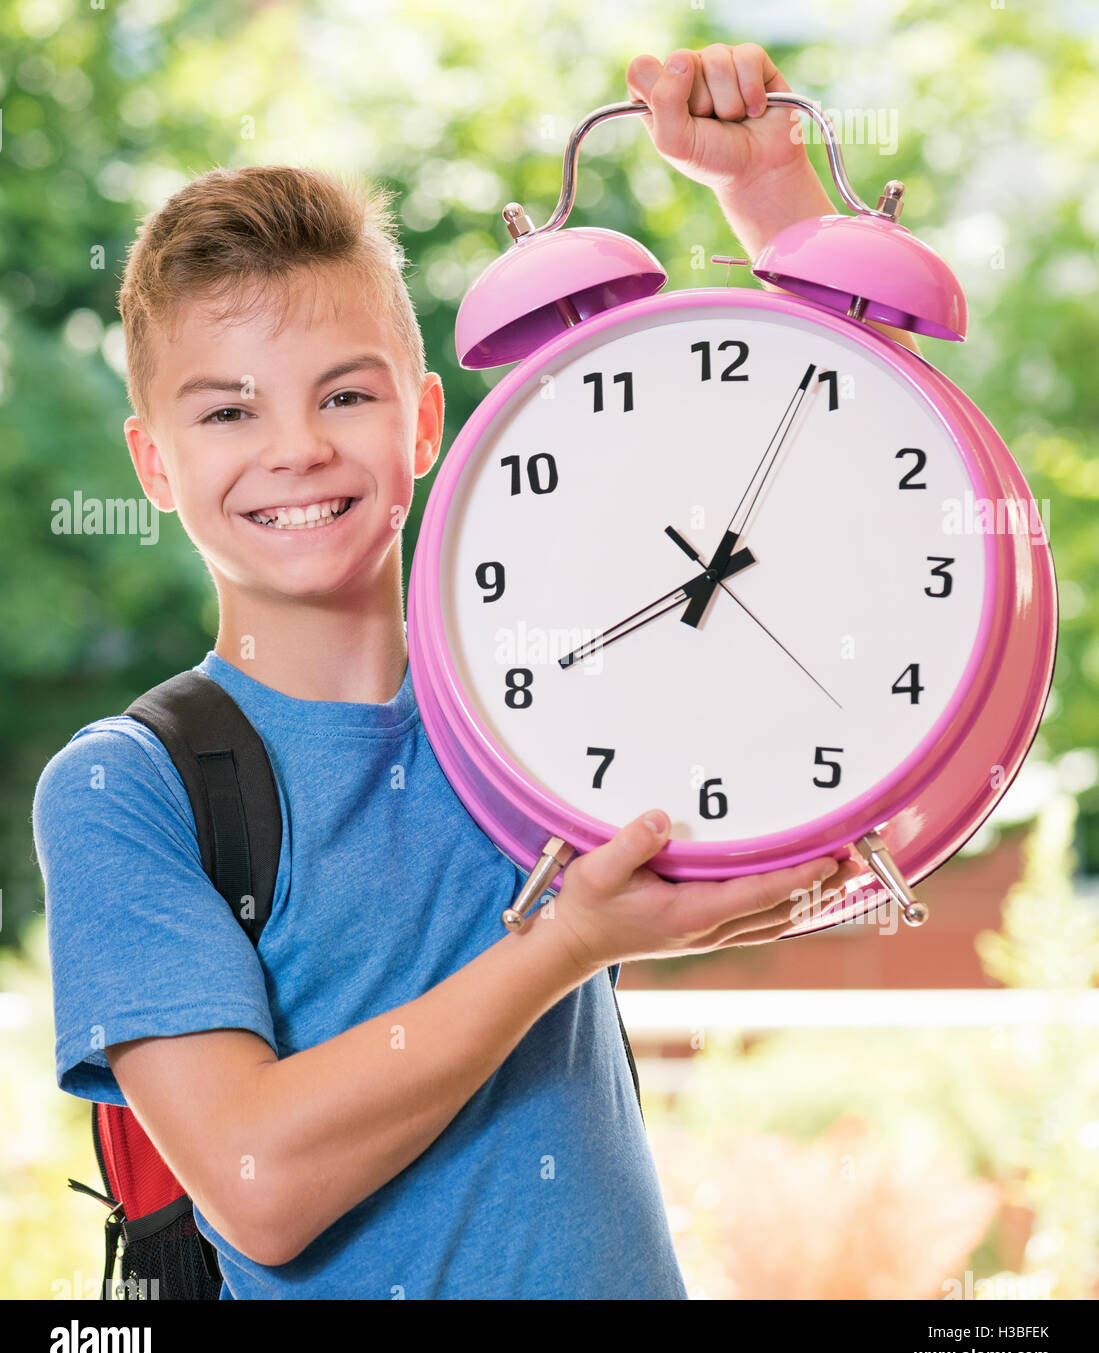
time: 8:04
